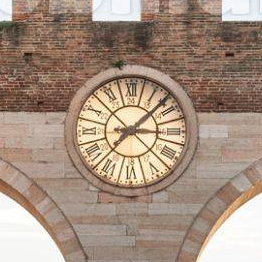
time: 3:07
